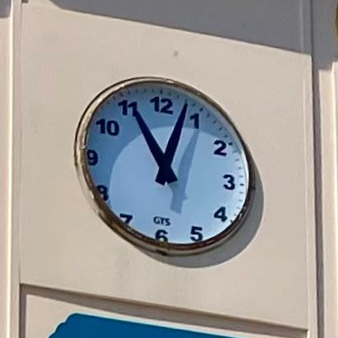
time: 11:03
